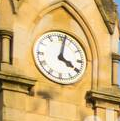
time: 4:02
